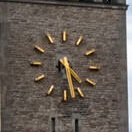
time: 4:28
